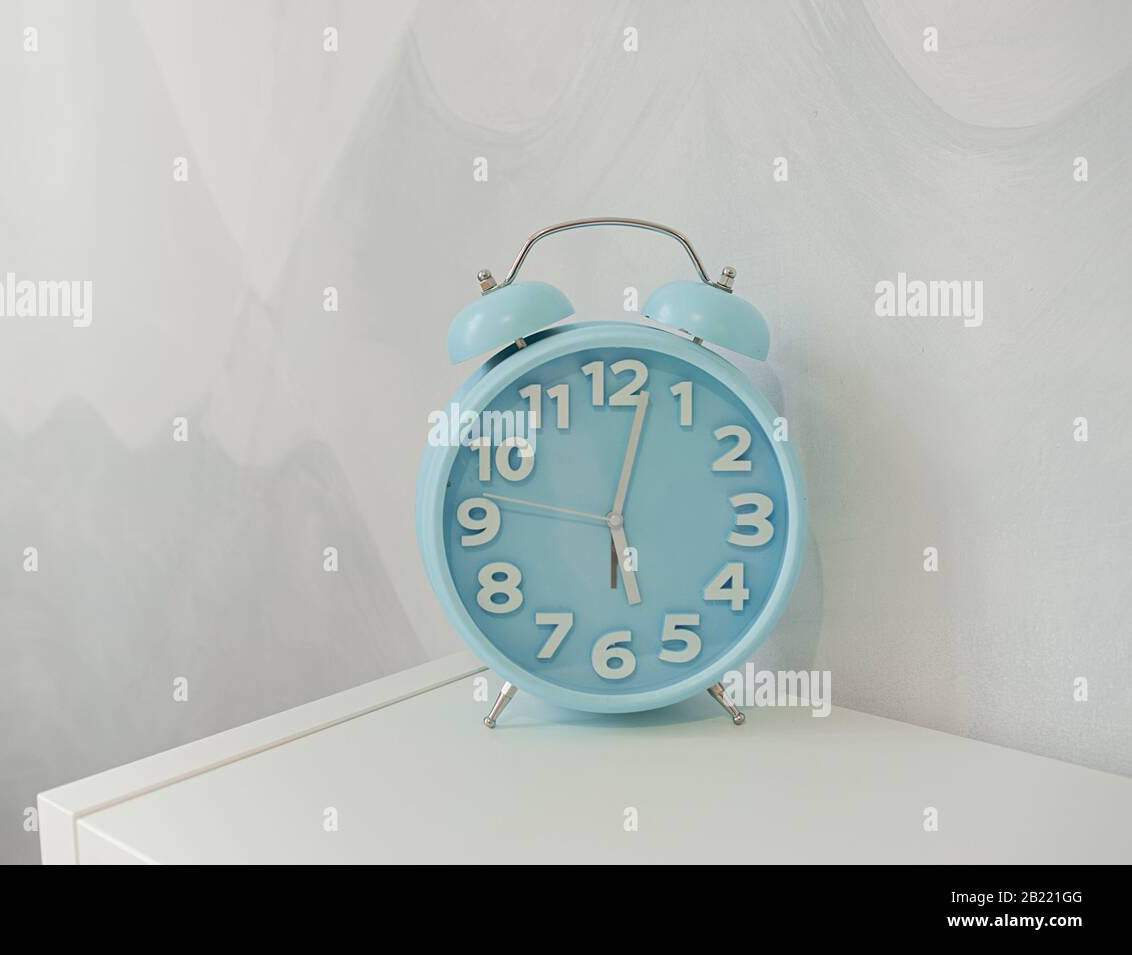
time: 6:02
